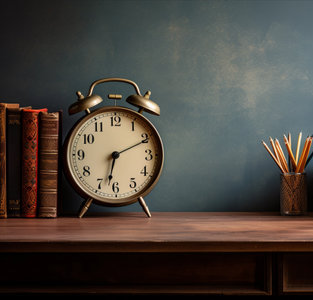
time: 6:10
